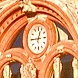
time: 12:45
